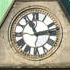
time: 11:13
